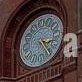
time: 3:24
